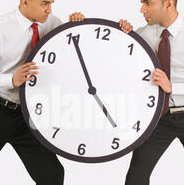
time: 4:55
